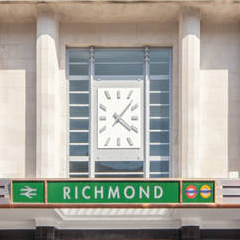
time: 4:07
